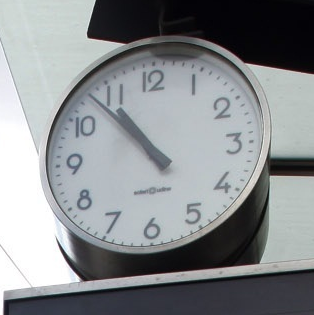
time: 10:53
